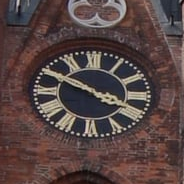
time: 3:49
